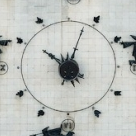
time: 10:03
